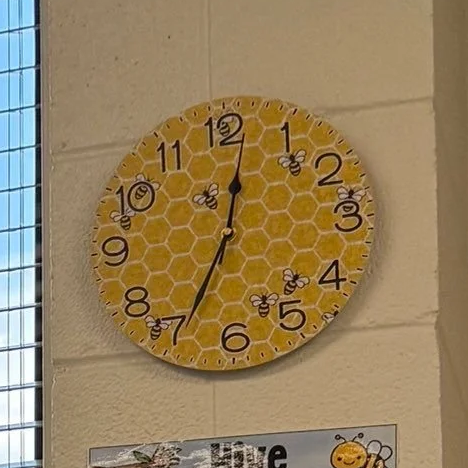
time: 12:34
